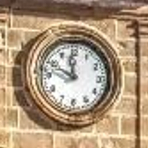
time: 11:49
